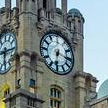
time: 6:17
